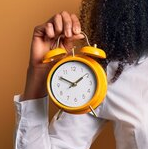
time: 1:50
